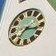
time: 7:15
